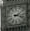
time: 2:18
